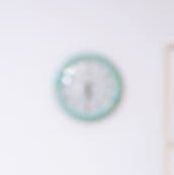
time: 5:31
